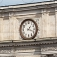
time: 1:18
